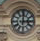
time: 3:00
